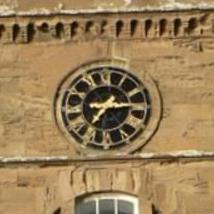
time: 7:14
